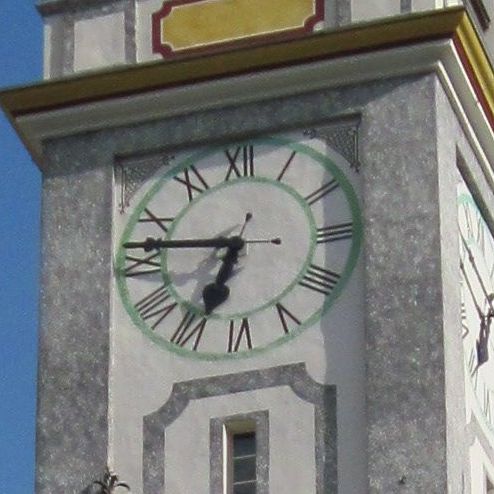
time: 6:46
